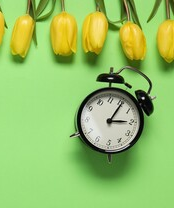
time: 3:05
